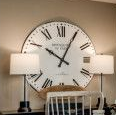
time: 10:04
